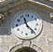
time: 11:22
